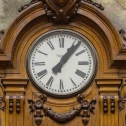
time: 7:06
